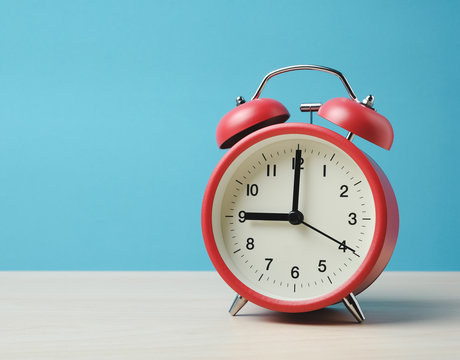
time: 9:00
